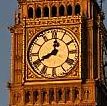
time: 8:01
